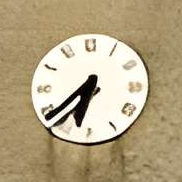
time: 6:37
